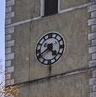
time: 4:40
